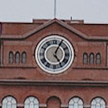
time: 5:04
